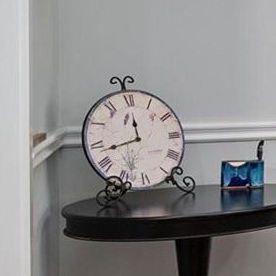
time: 11:43
